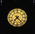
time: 7:23
